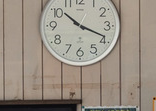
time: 10:18
